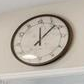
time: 12:07
